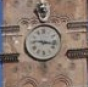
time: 9:16
